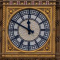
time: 11:49
